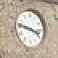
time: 3:47
